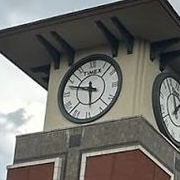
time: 5:47
